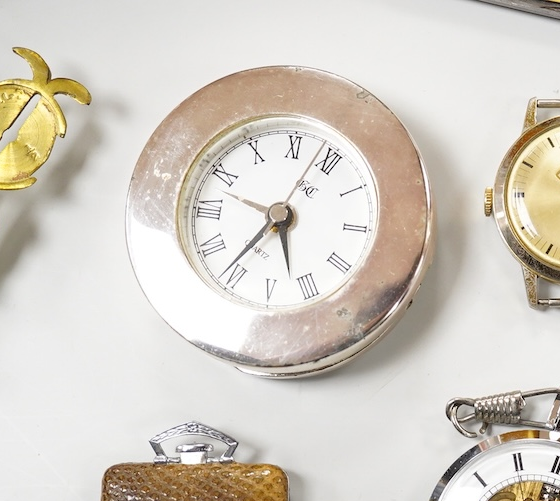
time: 5:36
